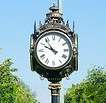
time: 9:53
